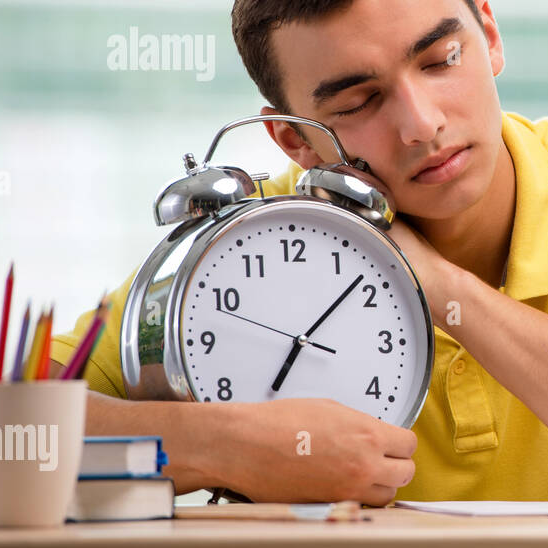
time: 7:08
